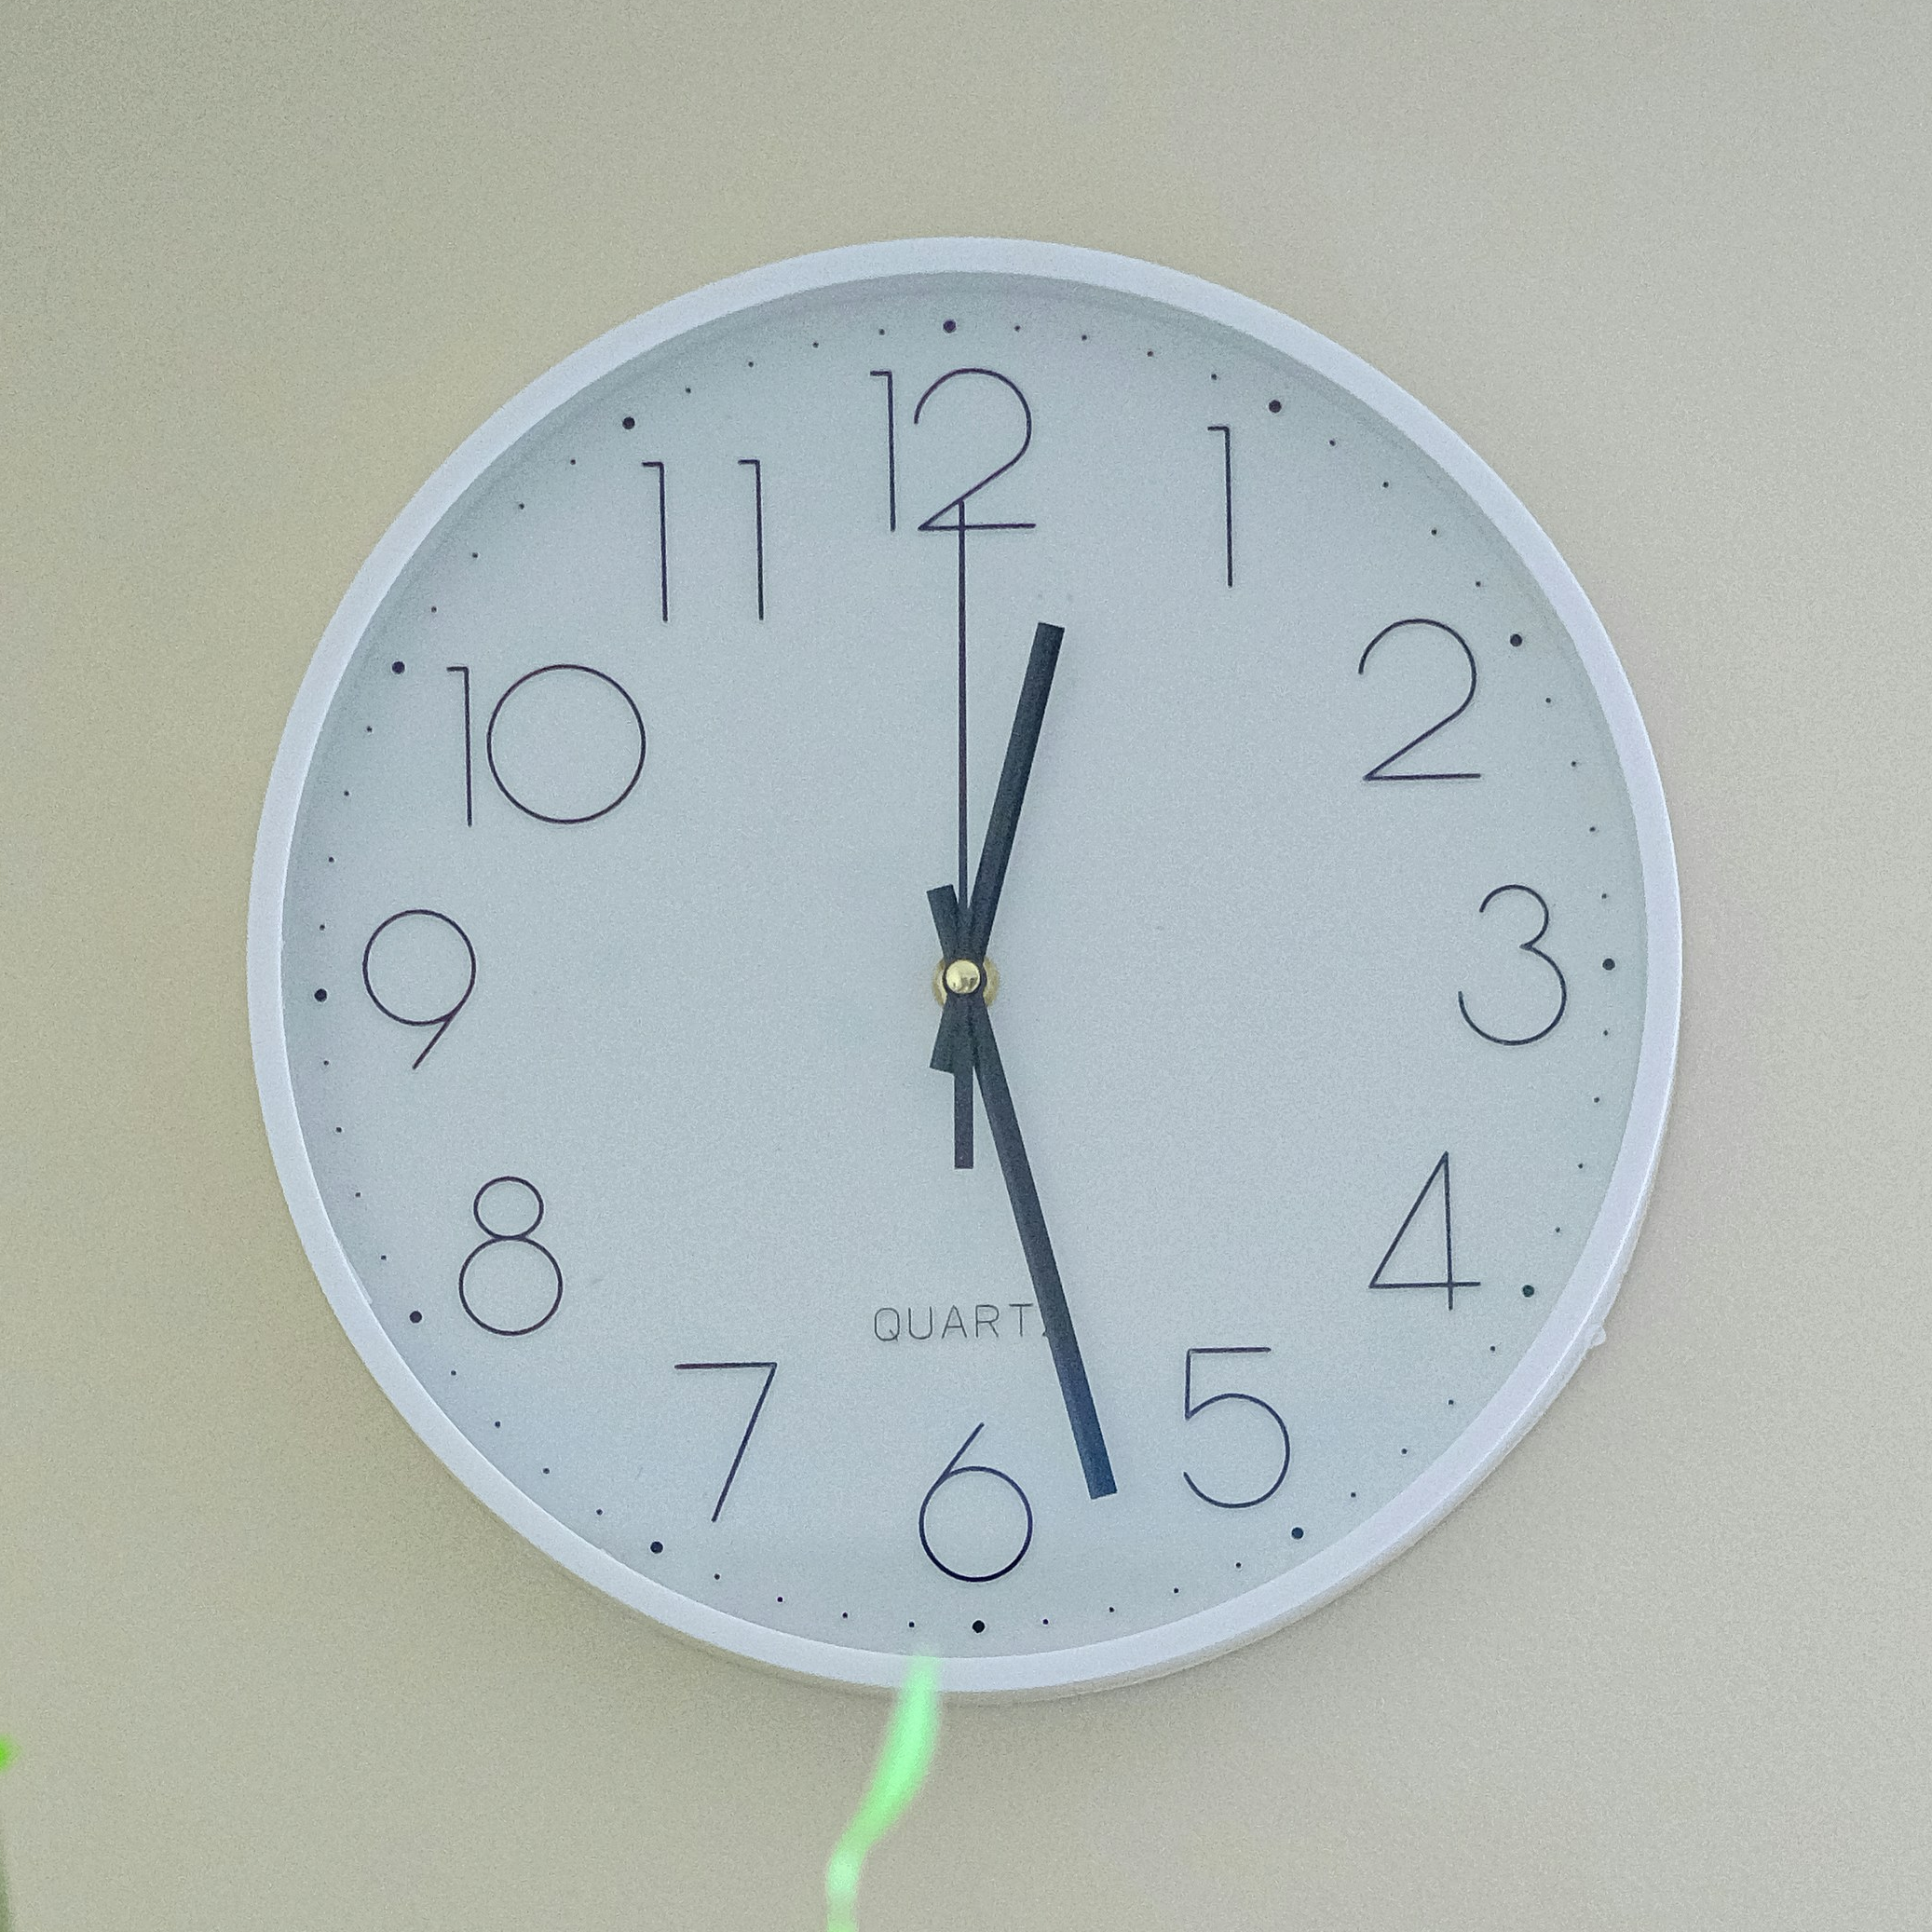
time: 12:27
